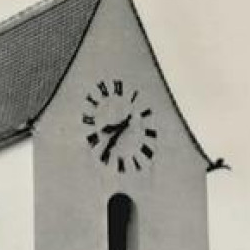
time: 8:36
